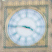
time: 3:45
